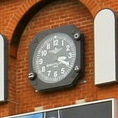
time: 3:20
